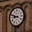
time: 8:48
